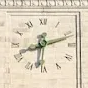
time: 6:12
